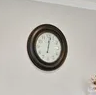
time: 12:02
